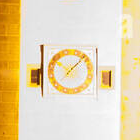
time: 10:07
